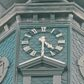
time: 4:29
